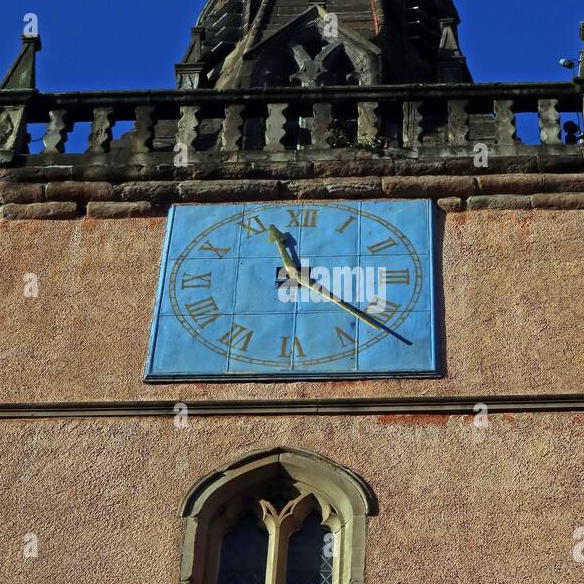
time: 11:21
